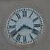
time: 3:38
